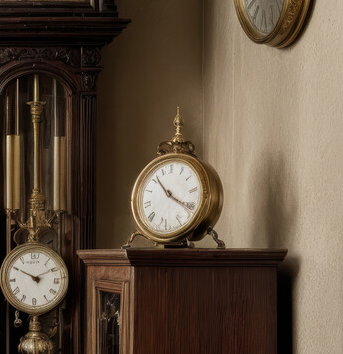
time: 10:20
